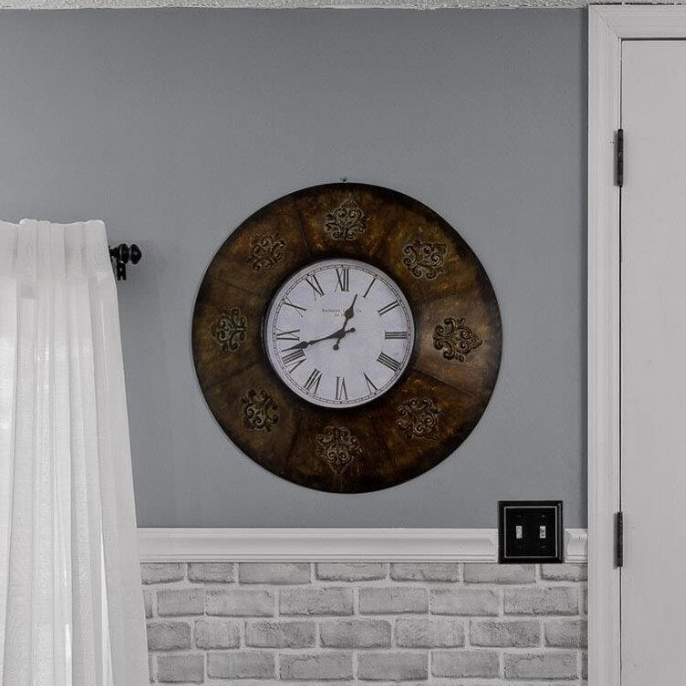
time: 12:42
